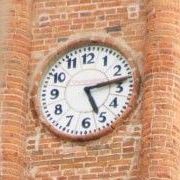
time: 5:13
